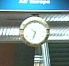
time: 6:32
